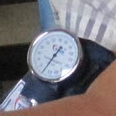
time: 1:35
